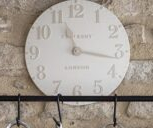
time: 11:16
